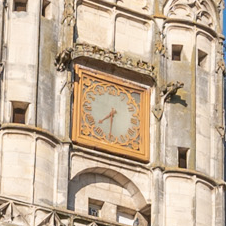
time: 7:30
